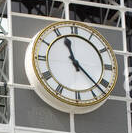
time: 11:22
